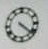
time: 4:21
